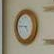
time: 4:45
